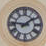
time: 1:46
